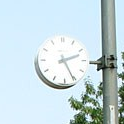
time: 2:25
